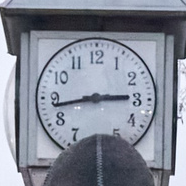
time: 2:43
